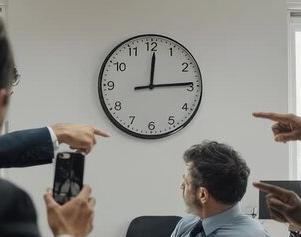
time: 12:14
